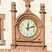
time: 12:12
